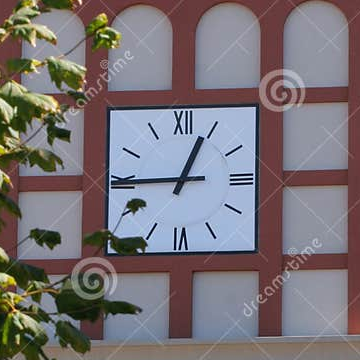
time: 12:44
